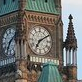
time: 7:09
